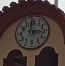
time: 2:59
